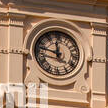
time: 11:47
